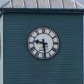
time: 9:29
